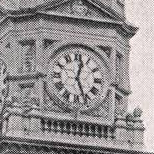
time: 12:26
